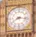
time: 8:16
